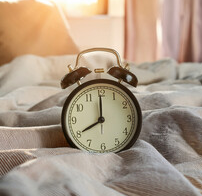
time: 8:00
